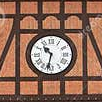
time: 10:32
